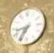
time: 8:35
